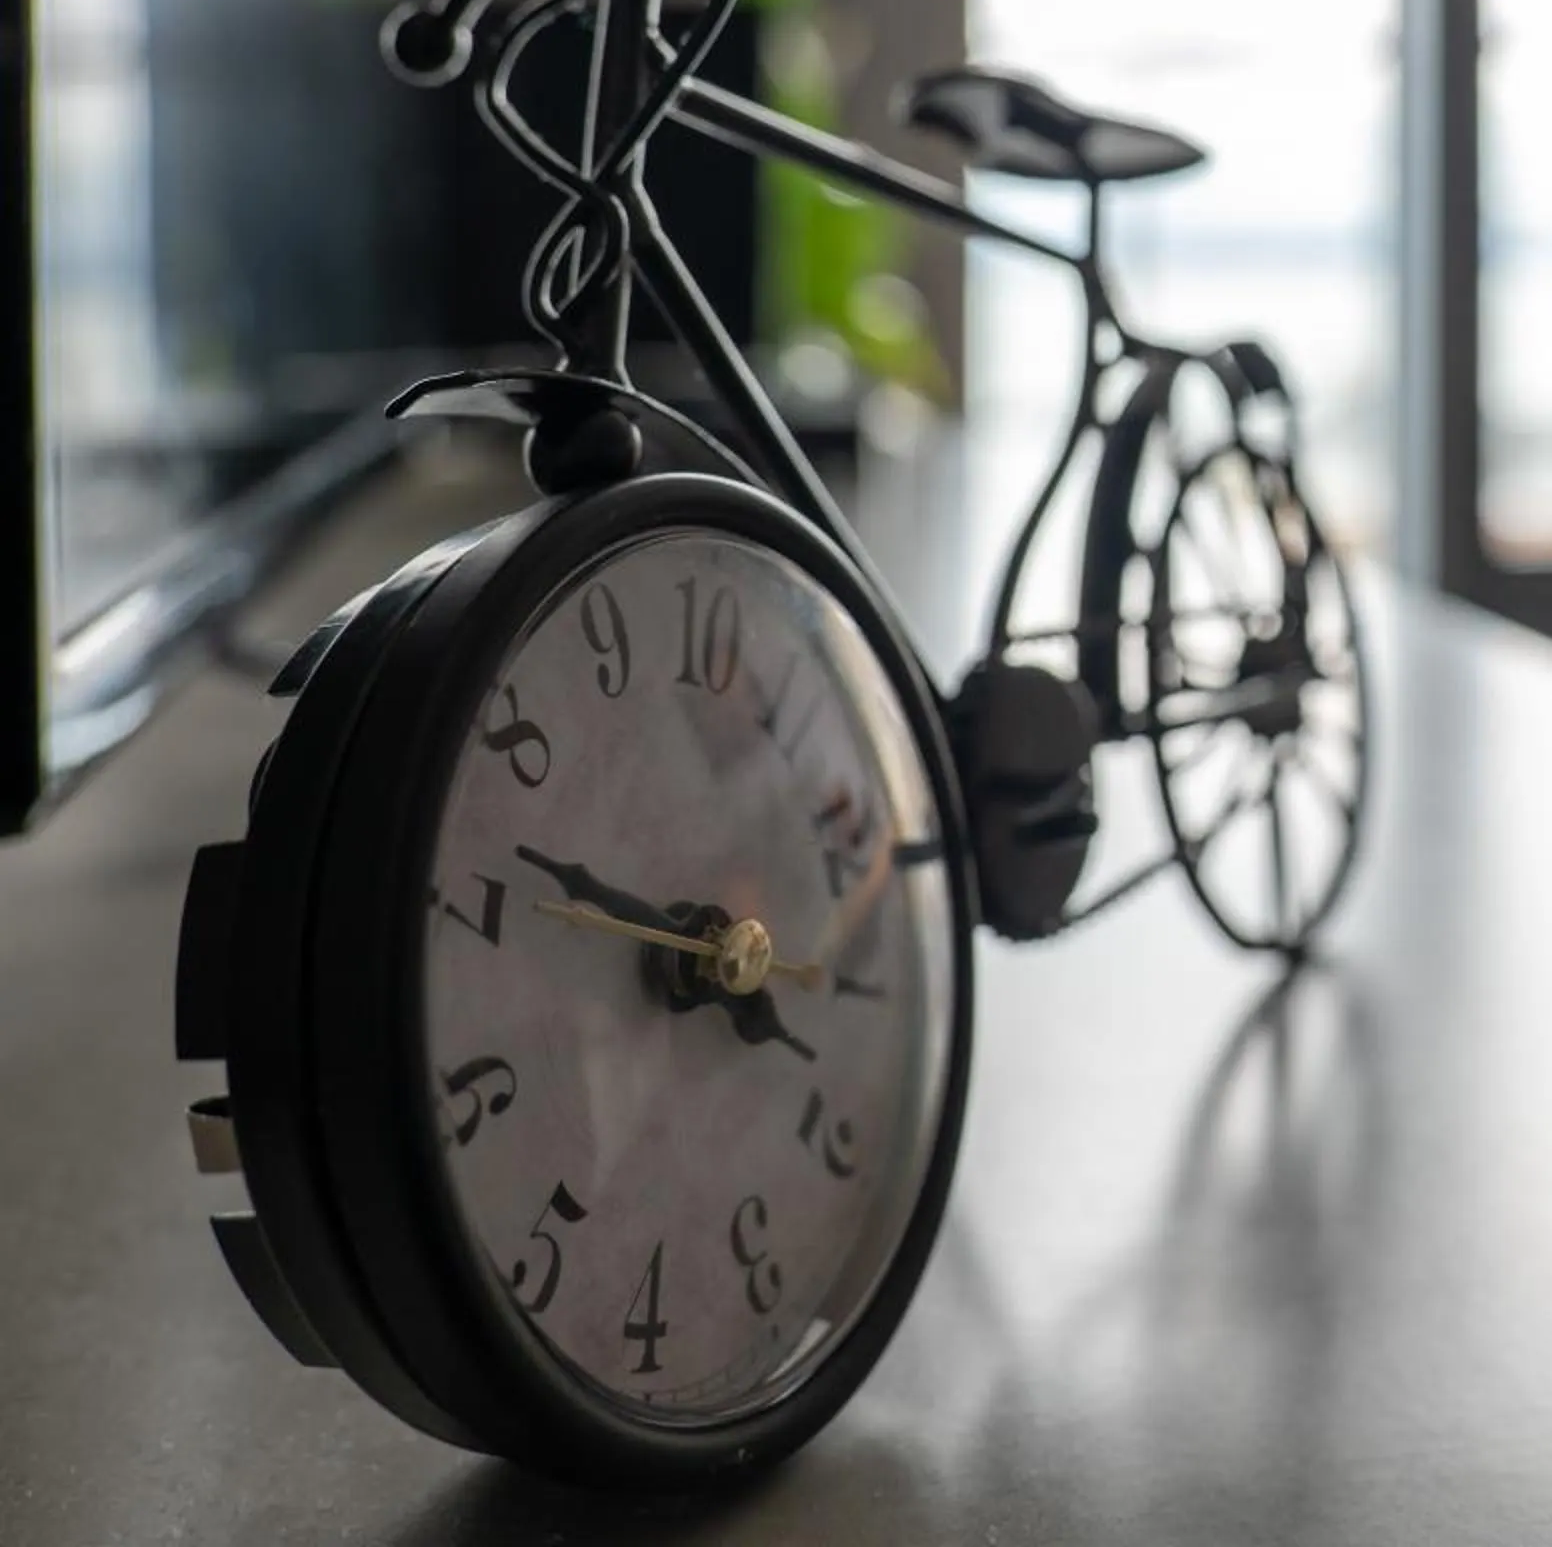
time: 3:47
